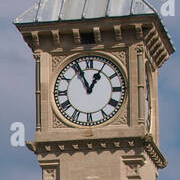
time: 12:56
